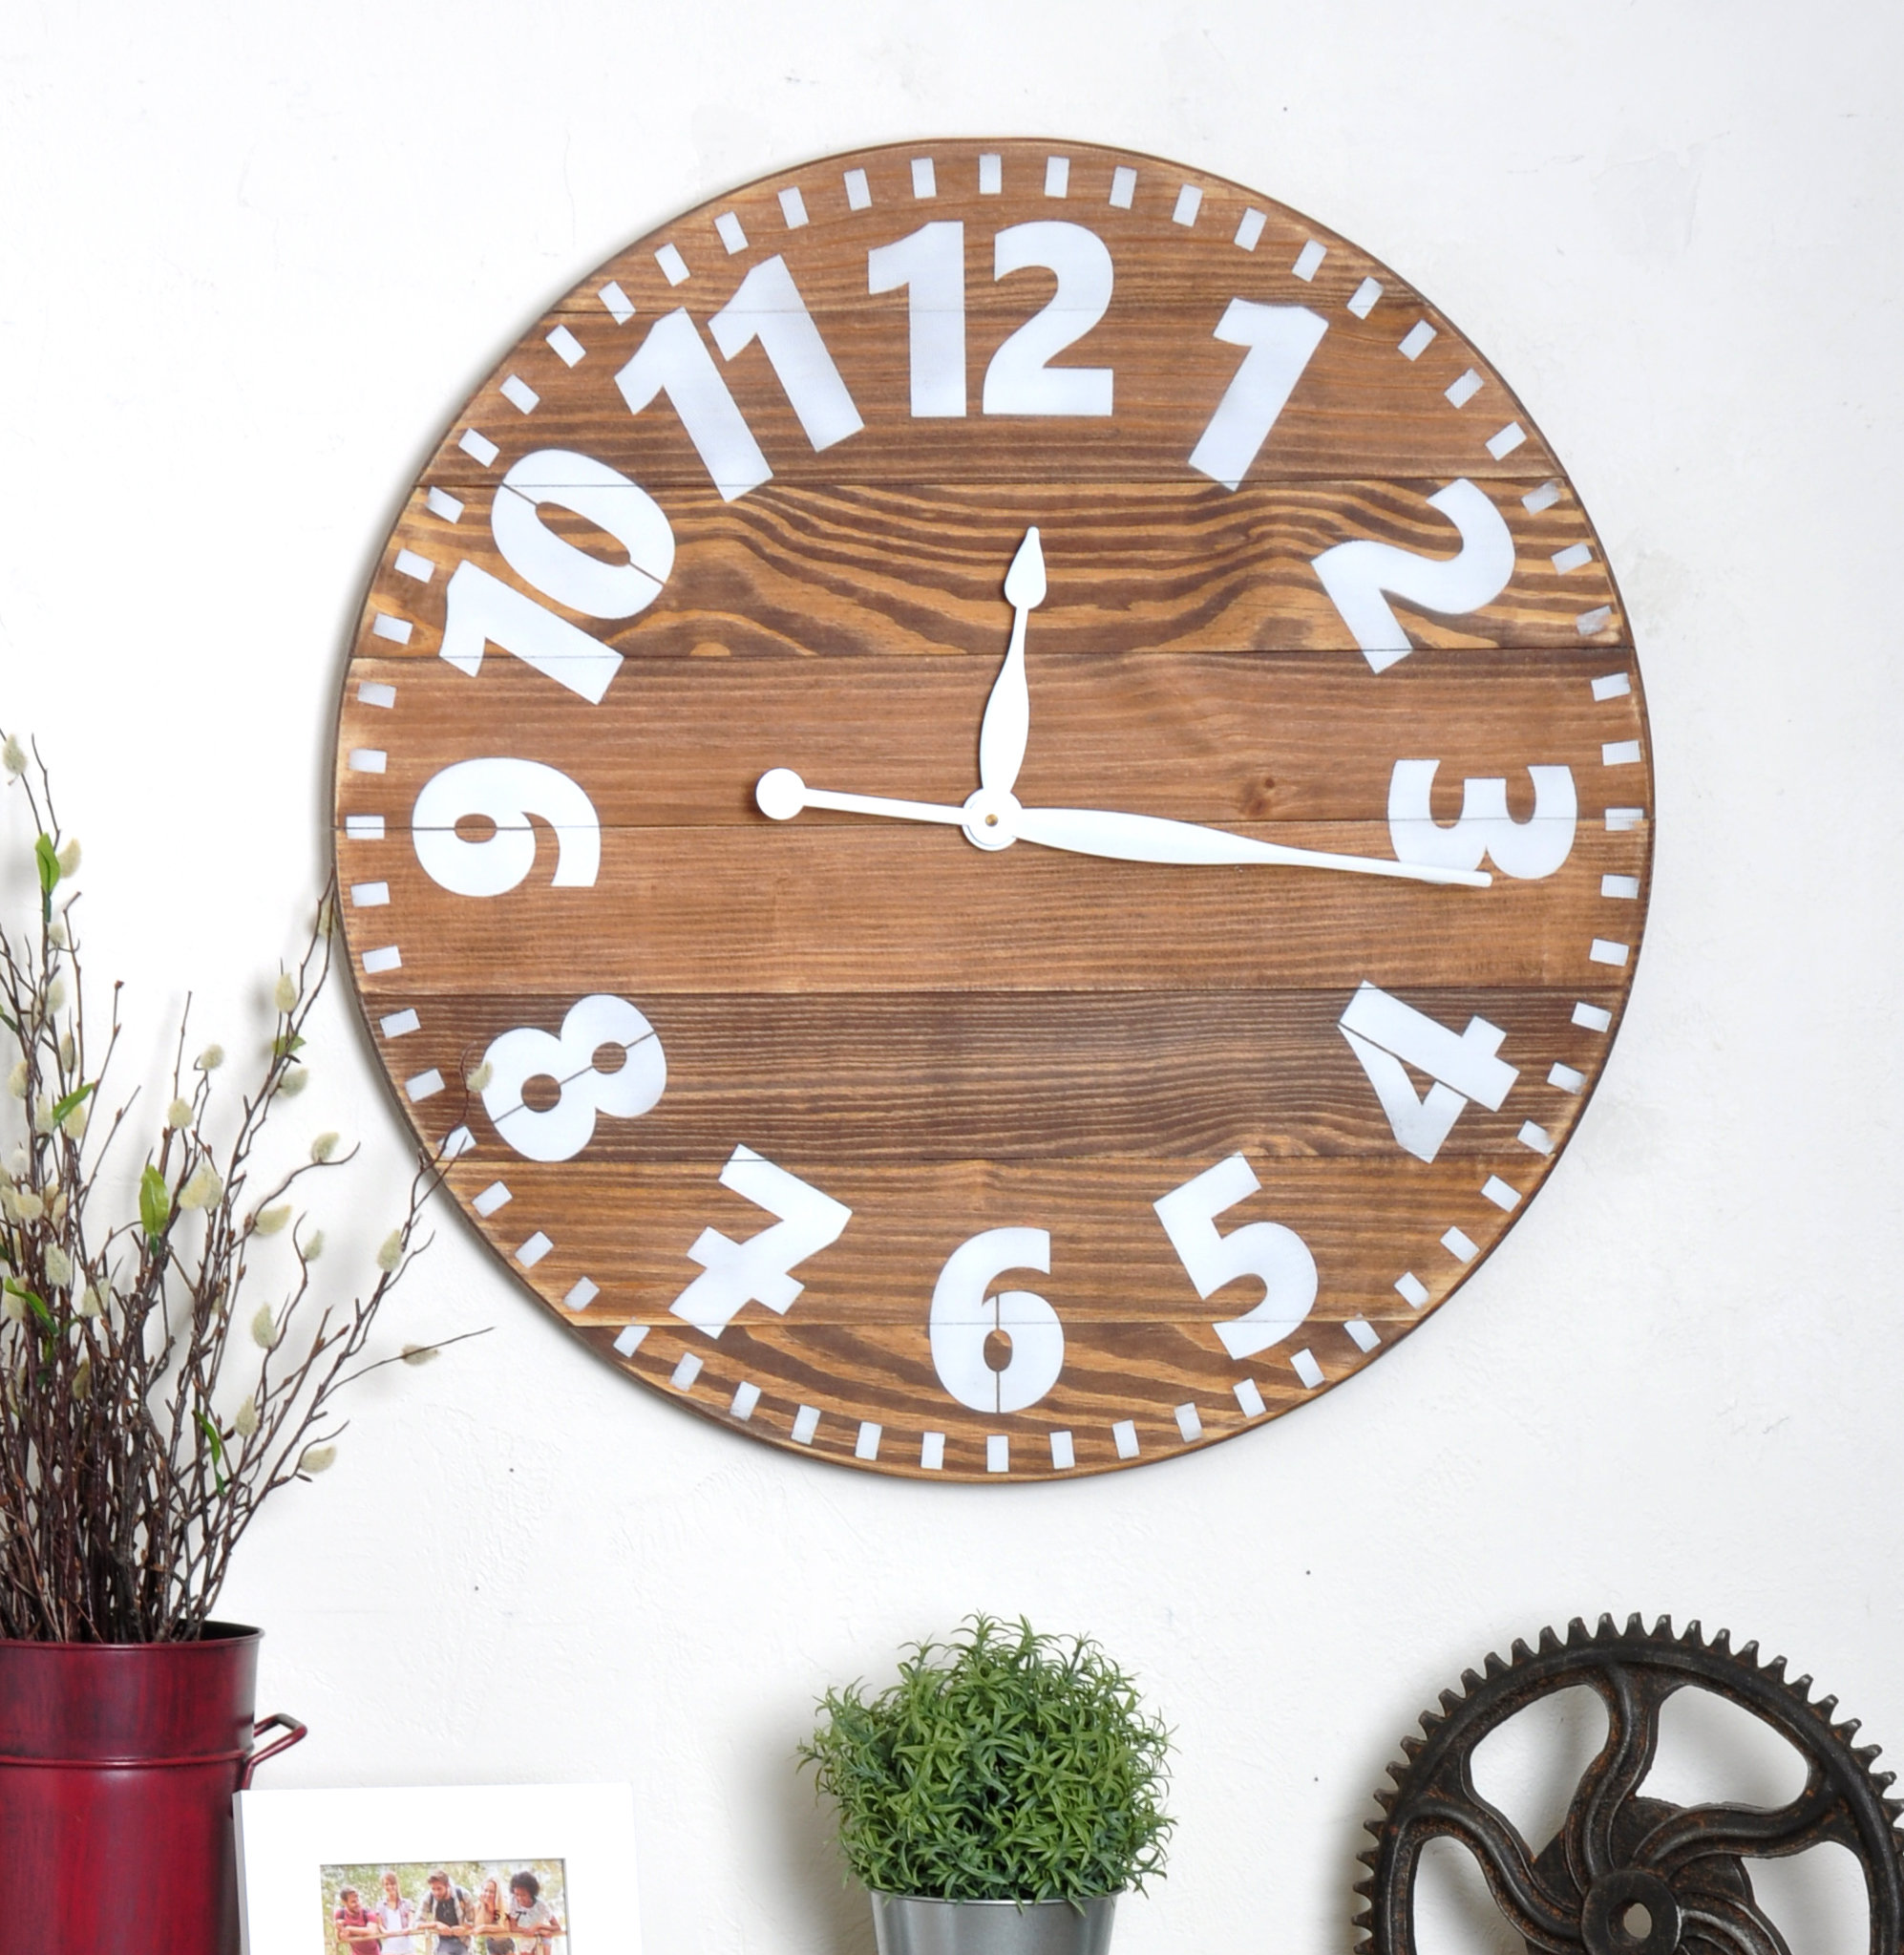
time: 12:16
